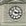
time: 2:50
